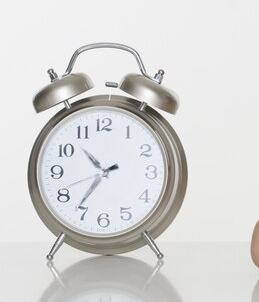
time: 10:36
